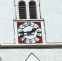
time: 1:43
